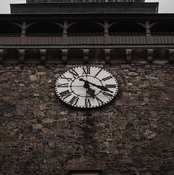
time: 5:18
